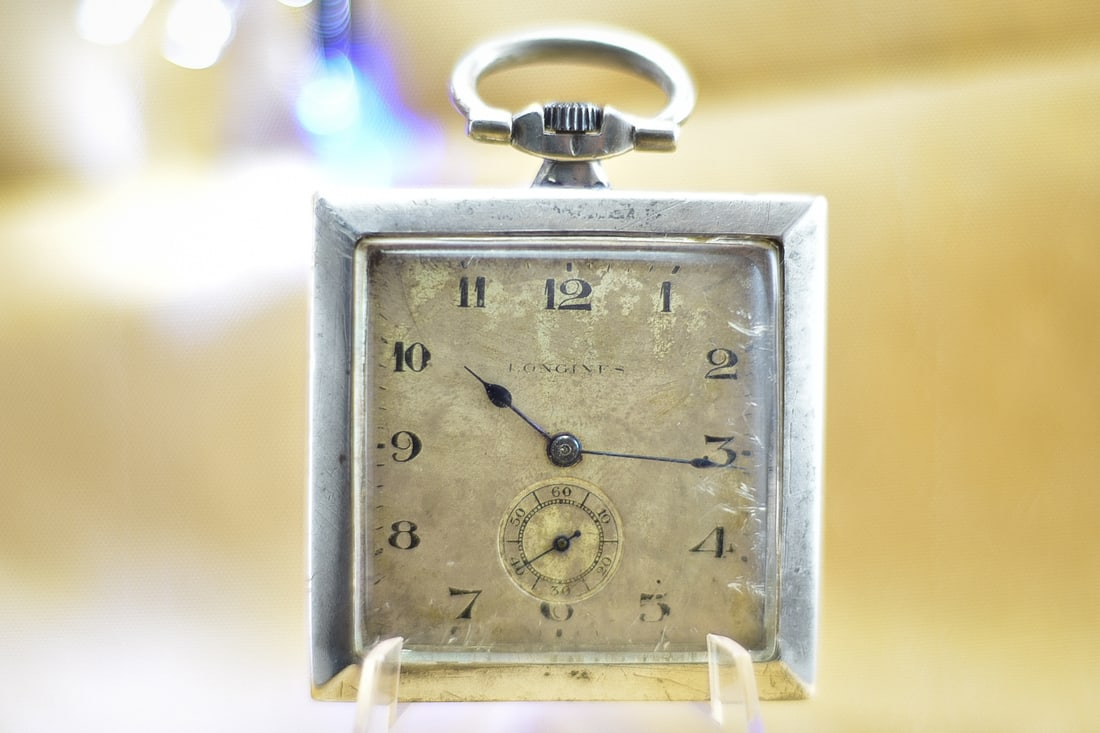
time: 10:15
